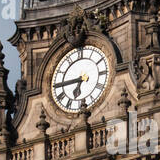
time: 6:44
